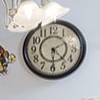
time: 4:29
